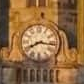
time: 8:16
